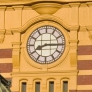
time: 8:14
